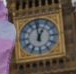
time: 12:59
